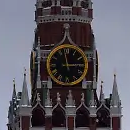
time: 2:58
